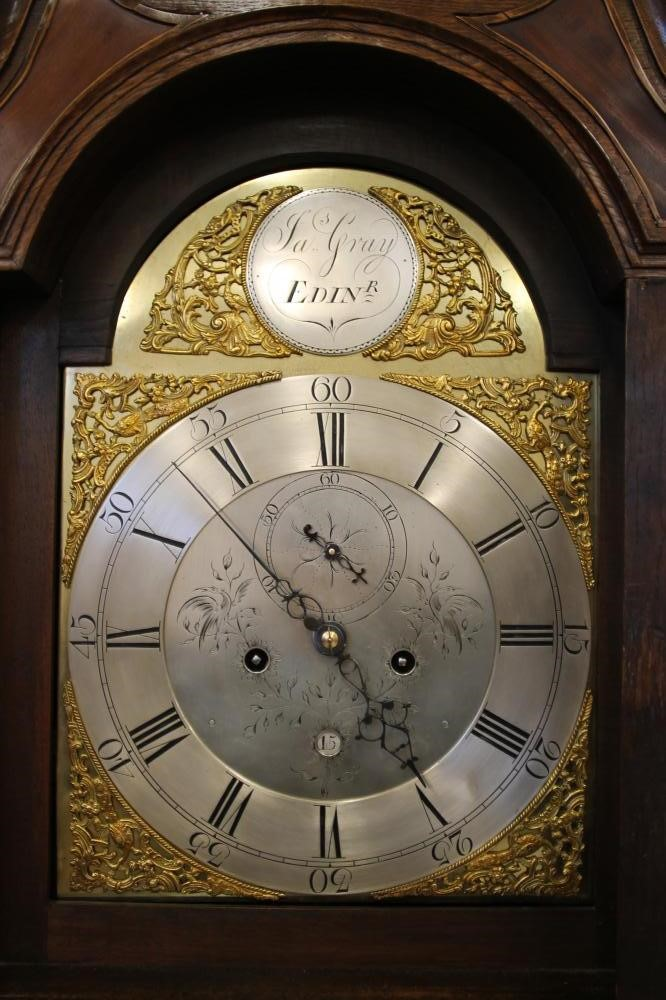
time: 4:53
